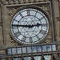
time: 2:46
